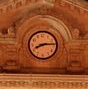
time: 8:14
